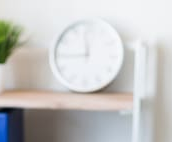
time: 11:44
